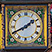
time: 1:40
